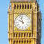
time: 9:57
